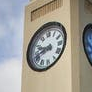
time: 9:42
